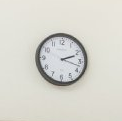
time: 2:17
